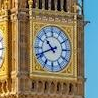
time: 10:41
